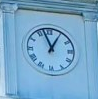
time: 12:57
